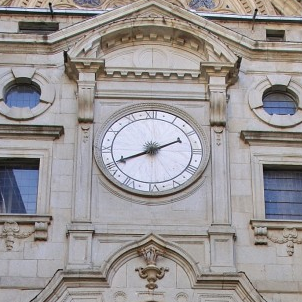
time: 8:11
